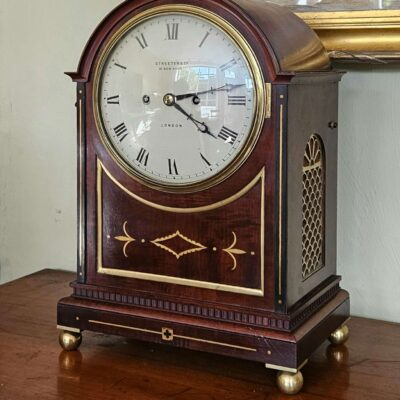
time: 4:13
